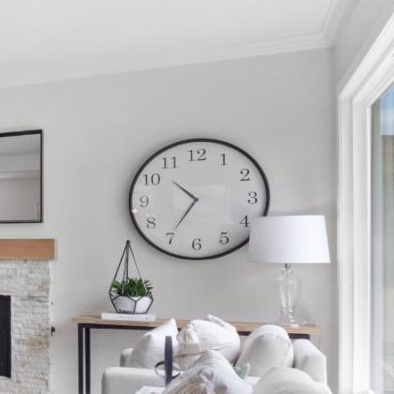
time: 10:35
